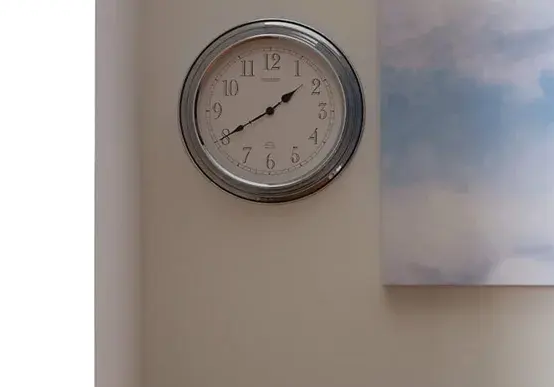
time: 1:39
